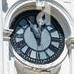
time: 12:55
